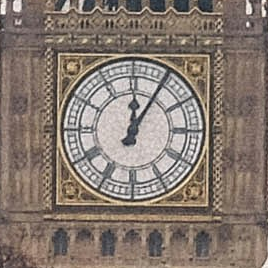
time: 12:05
